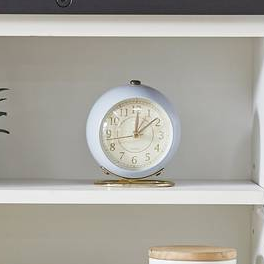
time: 12:08
